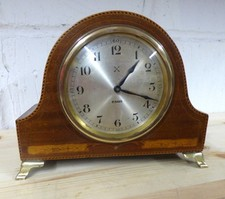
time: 1:18
